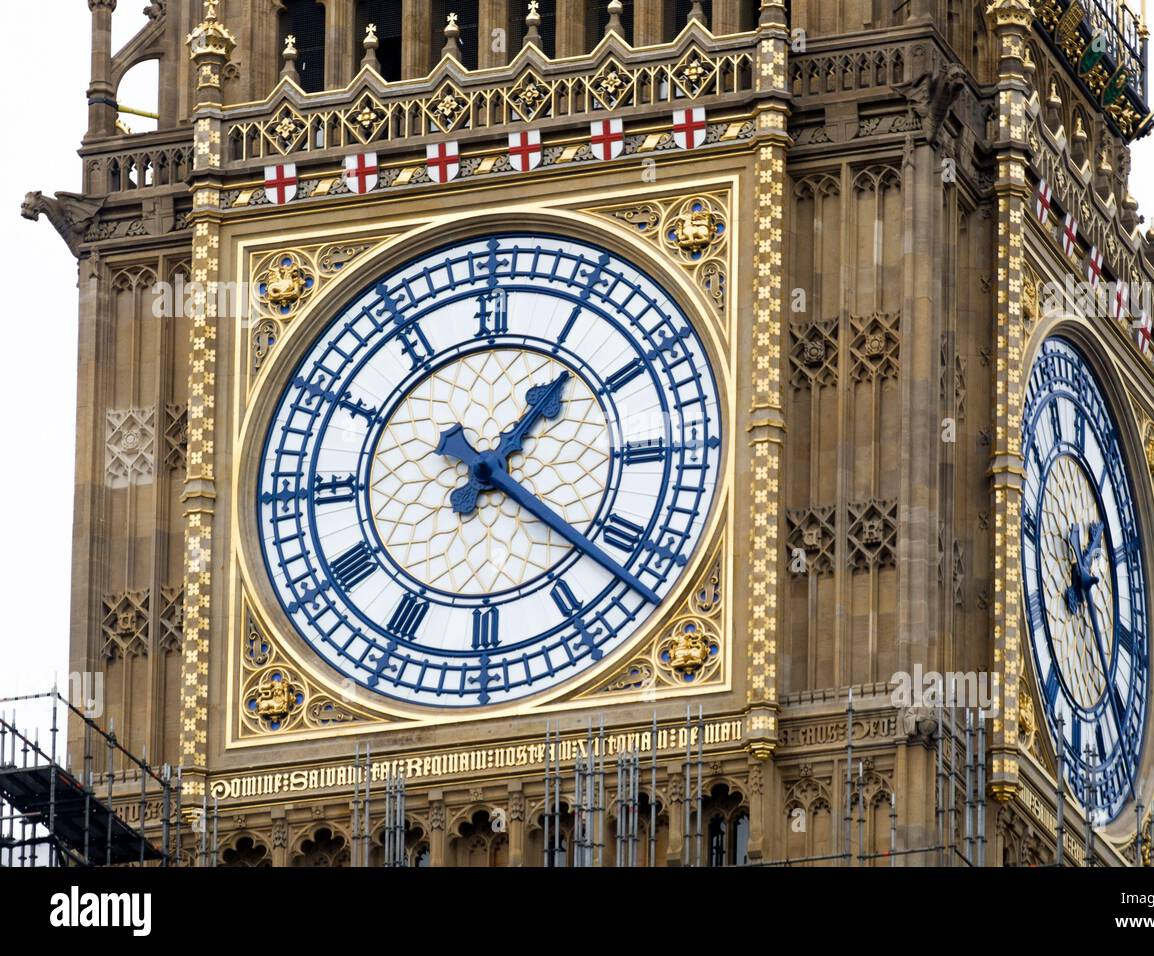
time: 1:21
